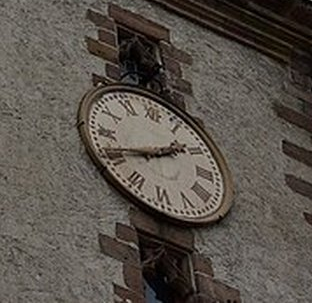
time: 1:41
